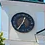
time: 12:36
